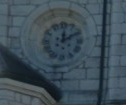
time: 12:09
